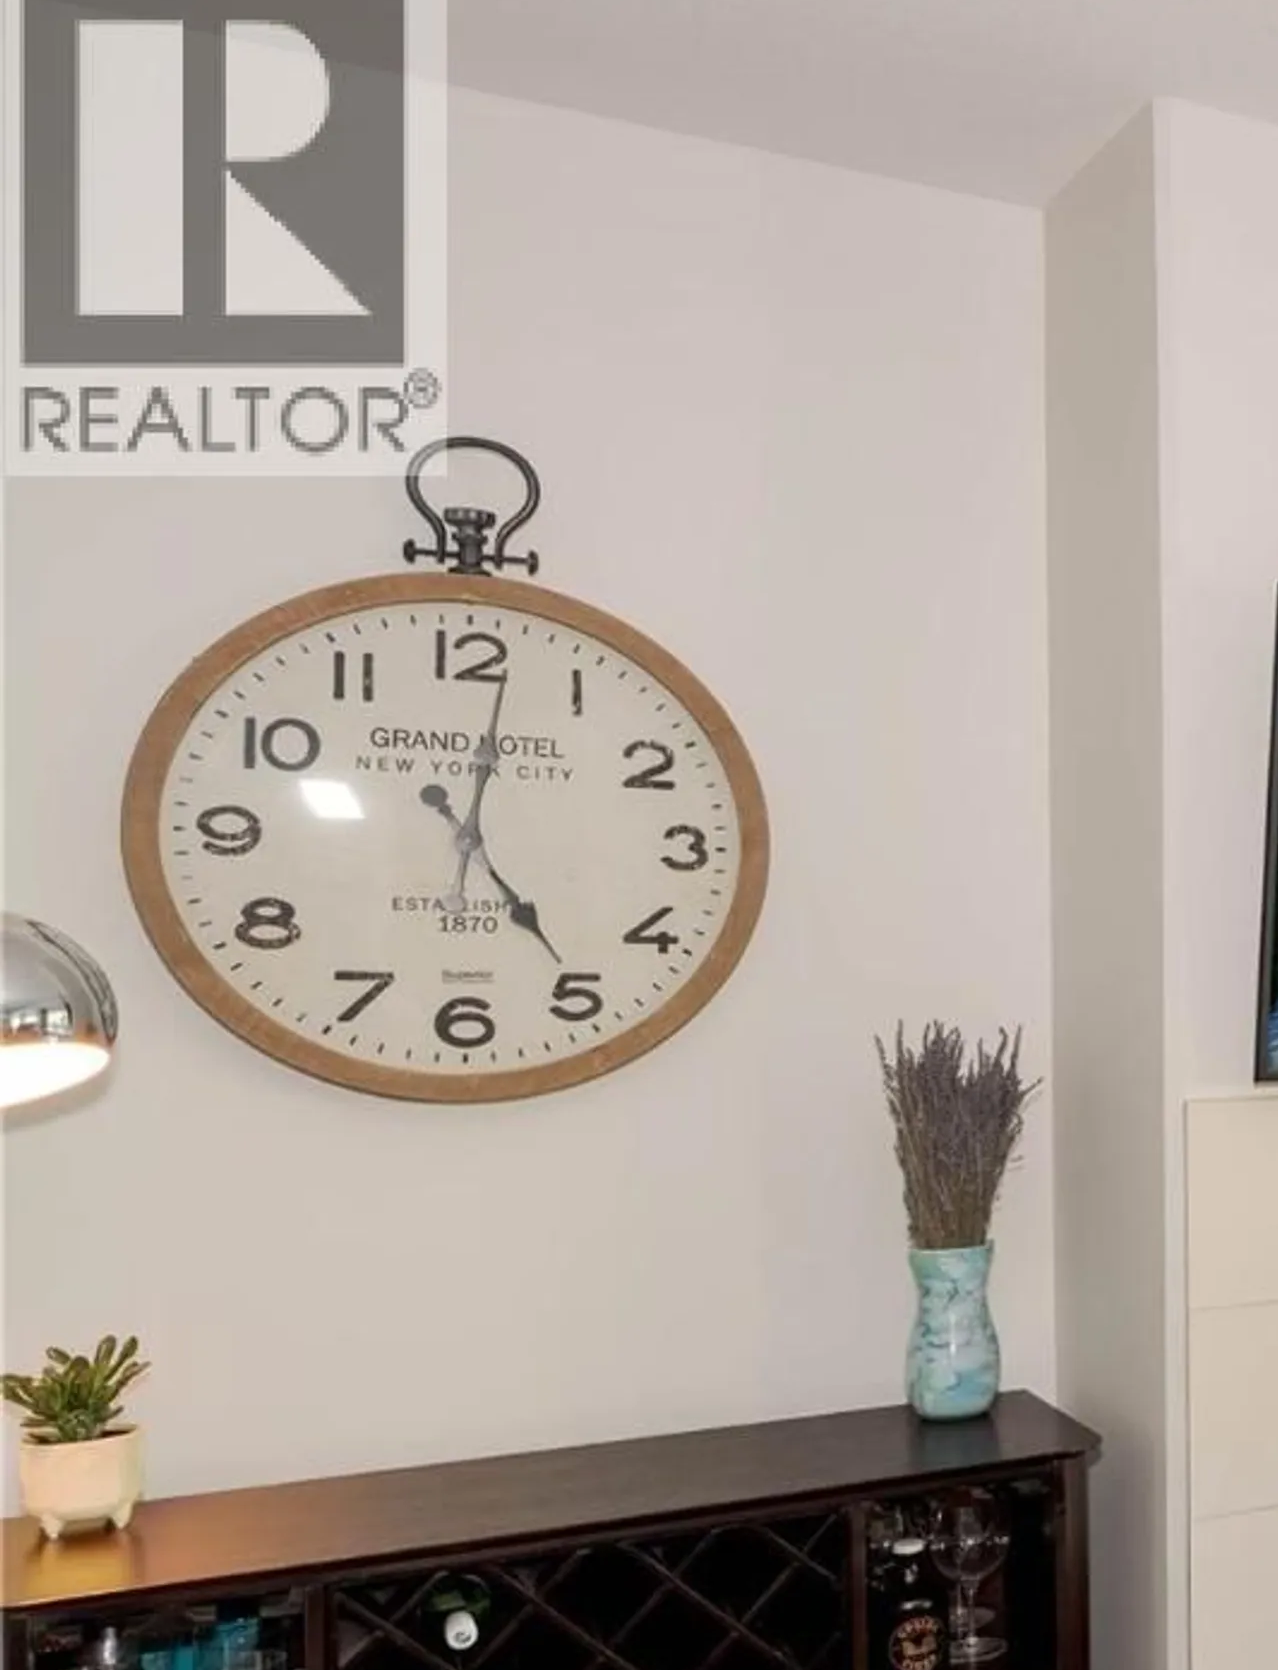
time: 5:01
